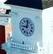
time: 9:01
